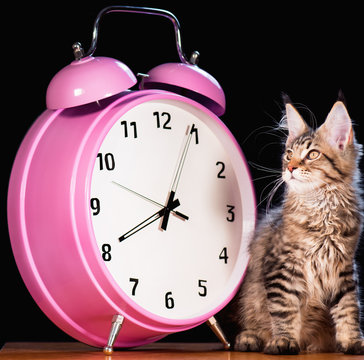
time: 8:04
